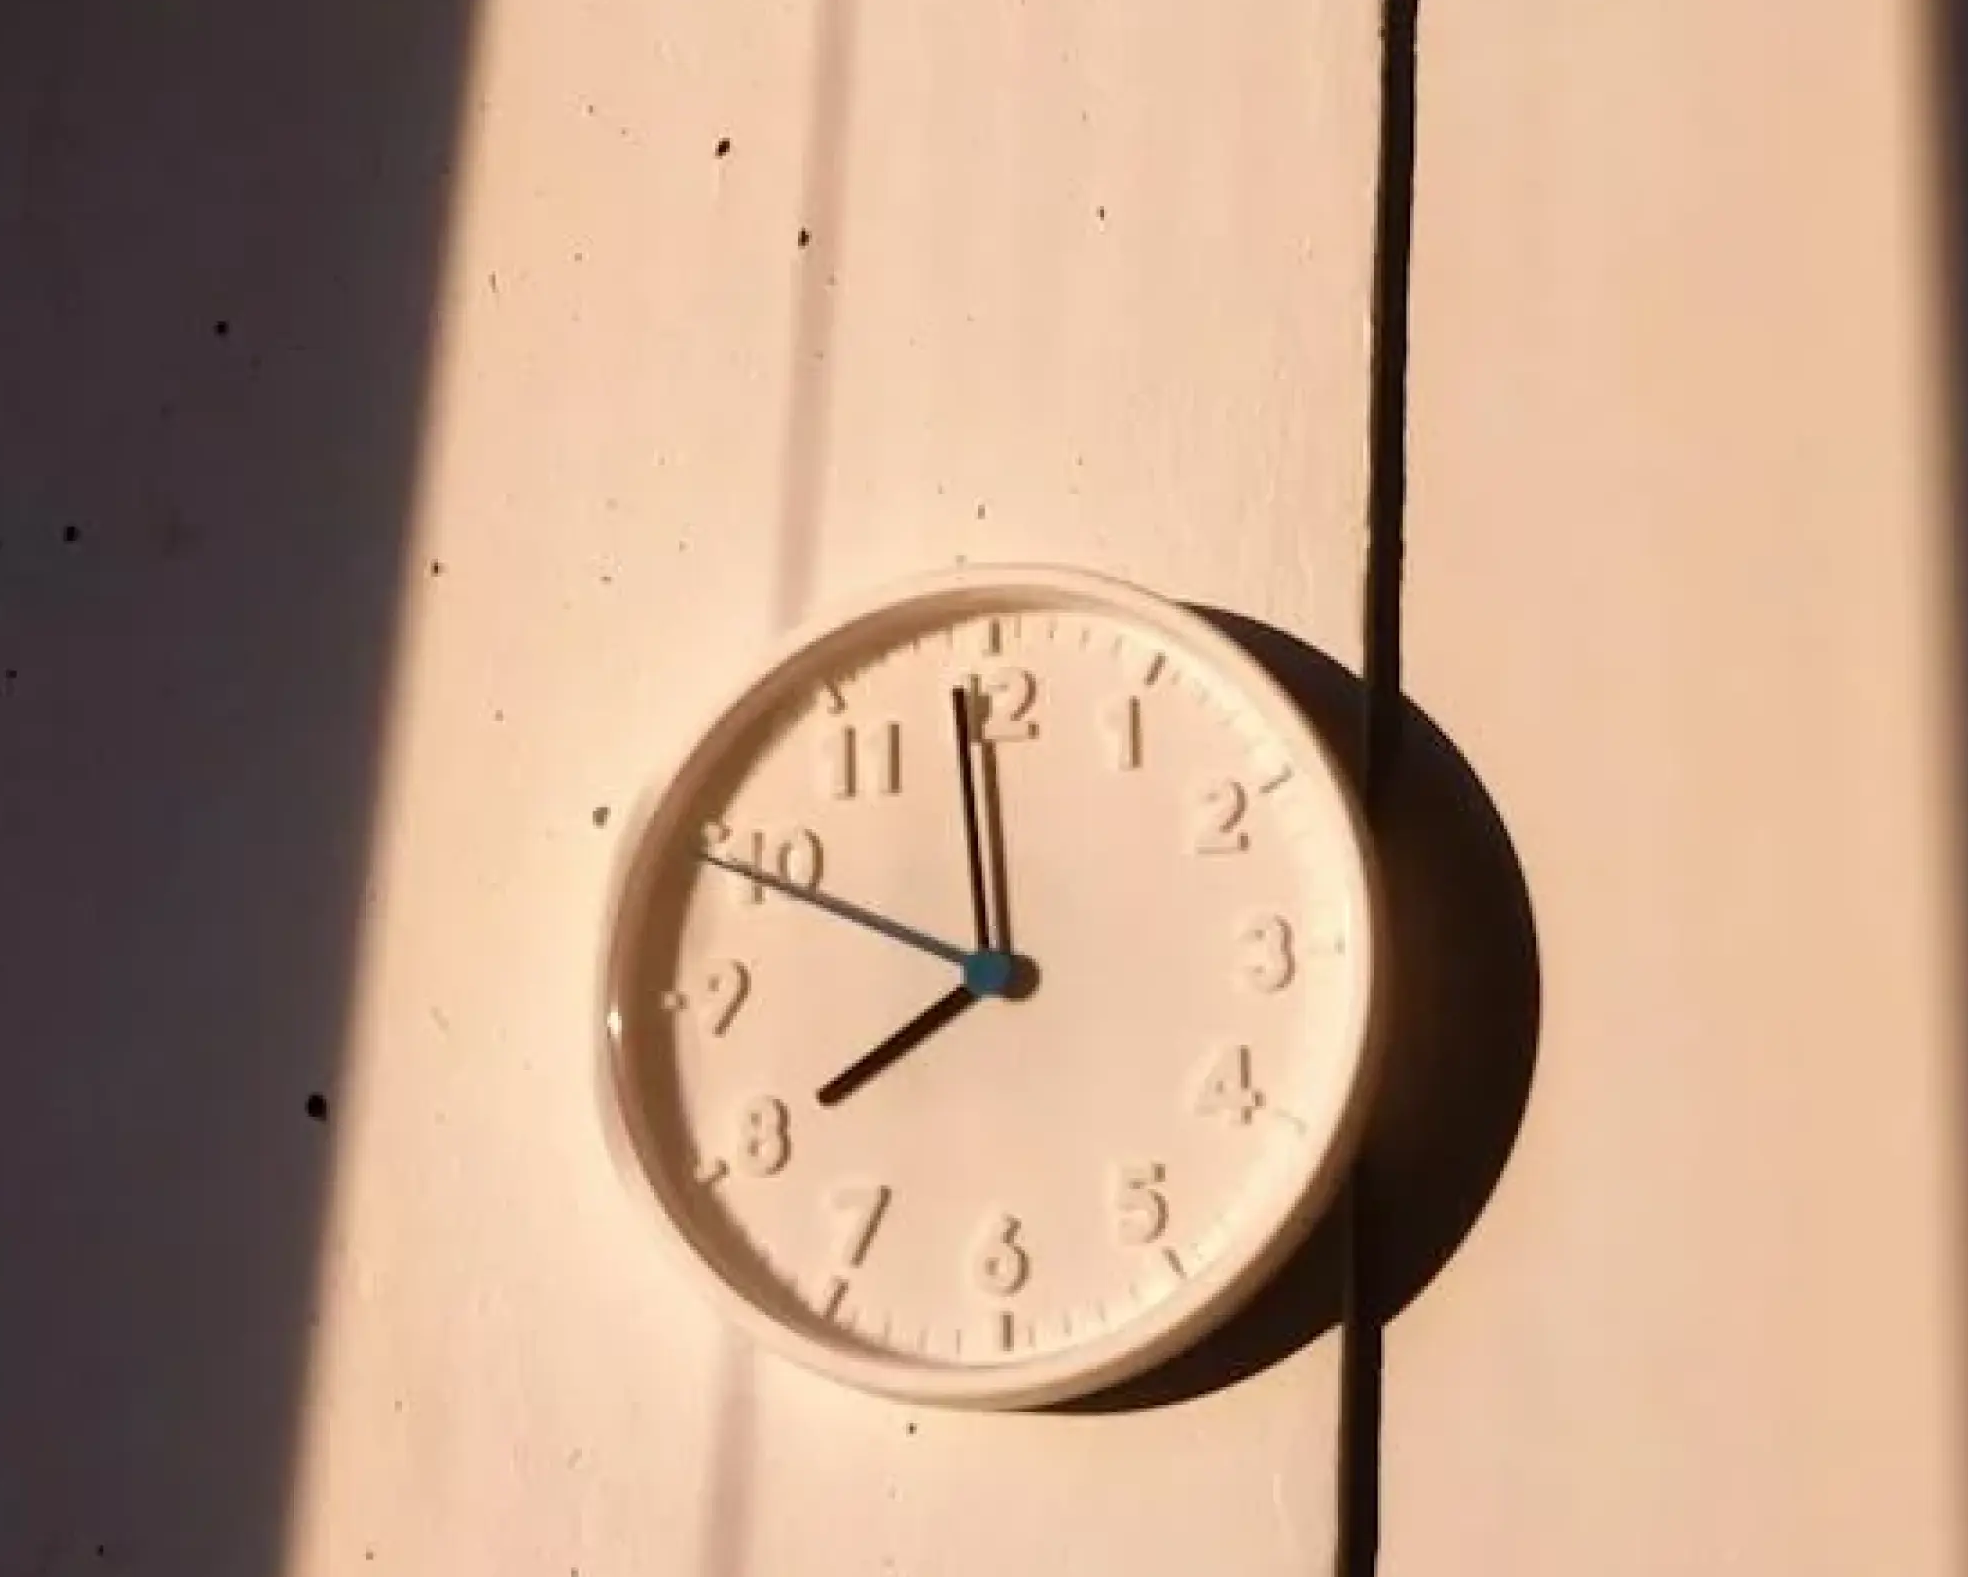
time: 7:58
